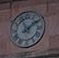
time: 11:08
